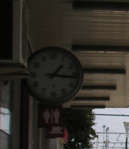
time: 1:16
